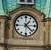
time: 1:22
